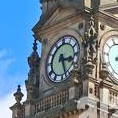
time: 3:26
